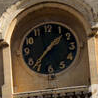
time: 1:36
